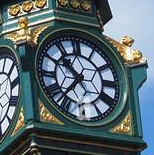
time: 10:36
